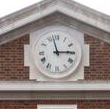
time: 2:57
